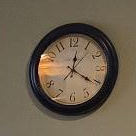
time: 12:20
